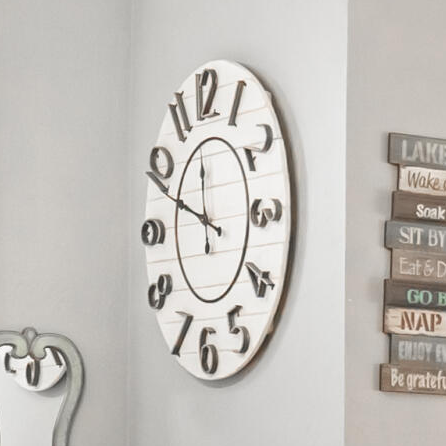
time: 11:48
